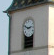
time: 2:48
